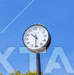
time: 10:31
